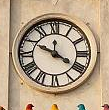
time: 11:49
